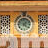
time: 1:22
